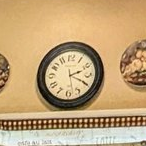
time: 2:19
